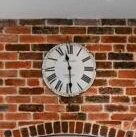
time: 11:29
